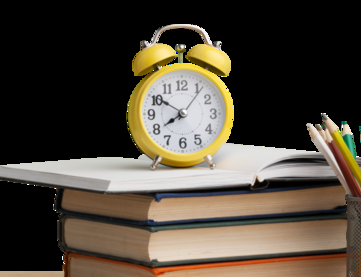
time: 7:50
